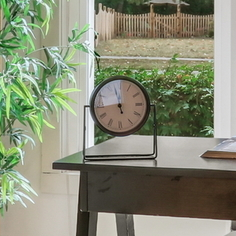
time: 11:43
